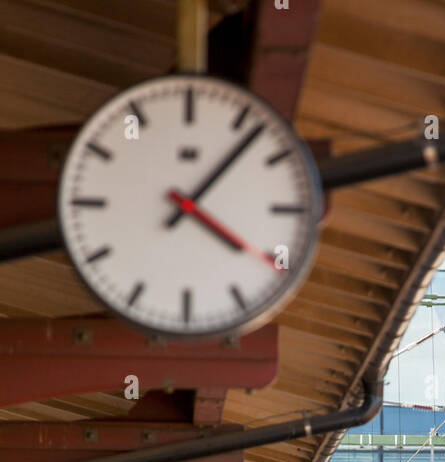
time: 4:07
